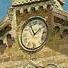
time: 1:56
